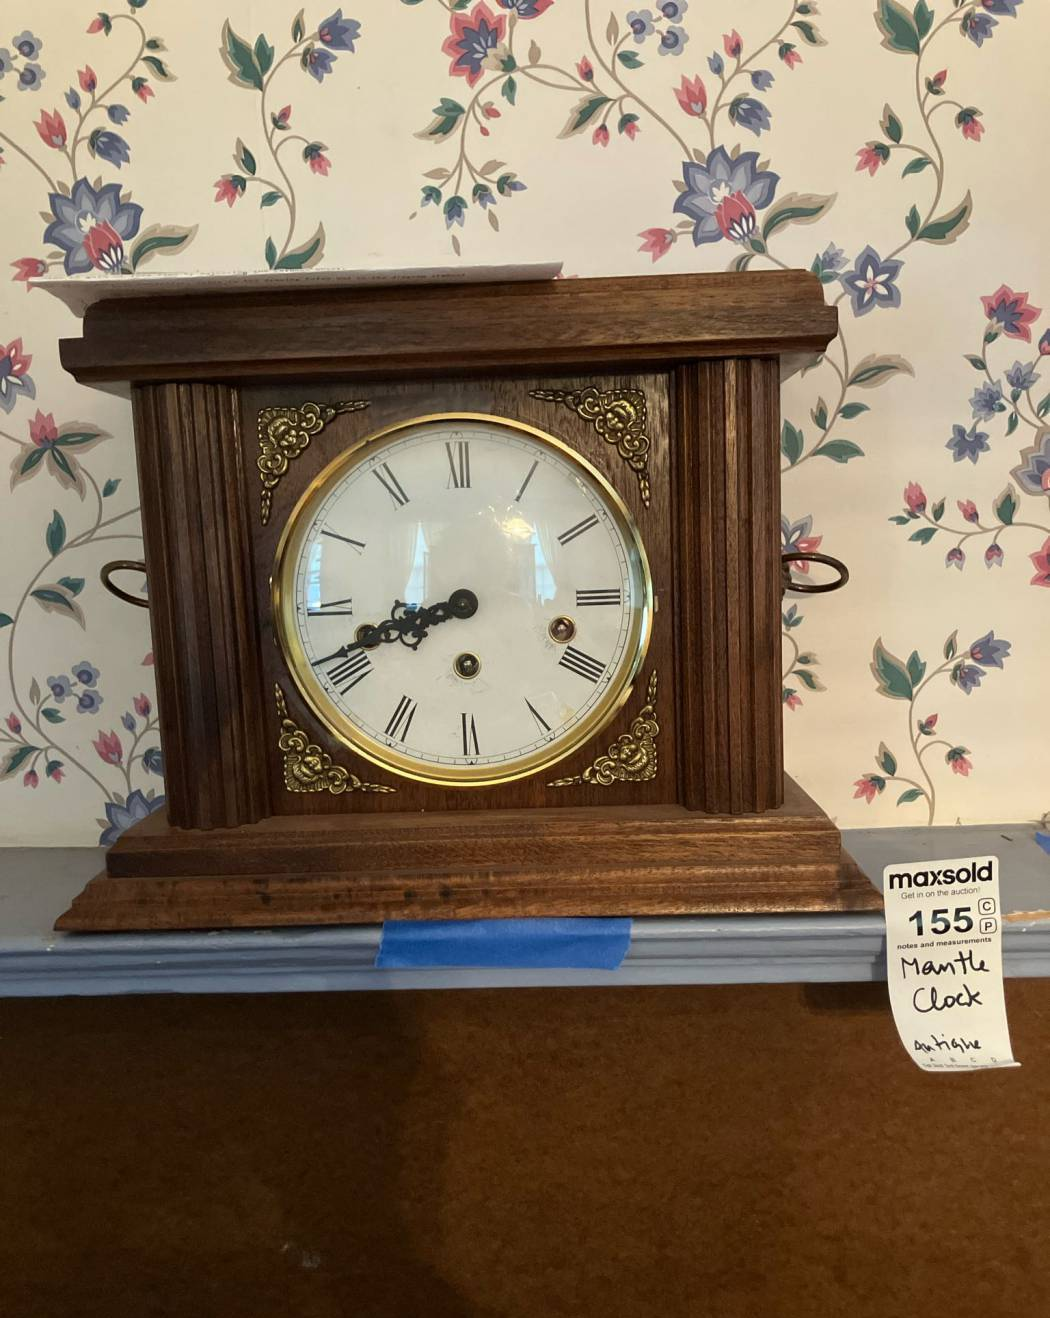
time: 8:41
